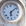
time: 6:08
